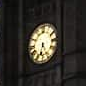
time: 6:27
